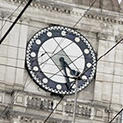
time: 4:26
